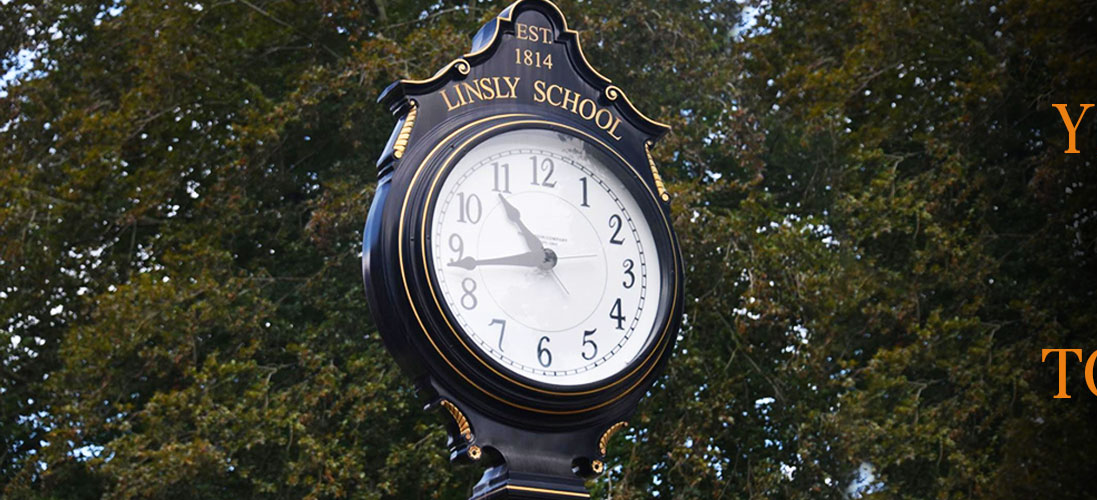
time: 10:43
